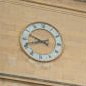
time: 9:41
